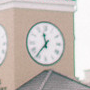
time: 11:36
